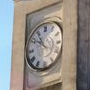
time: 10:50
